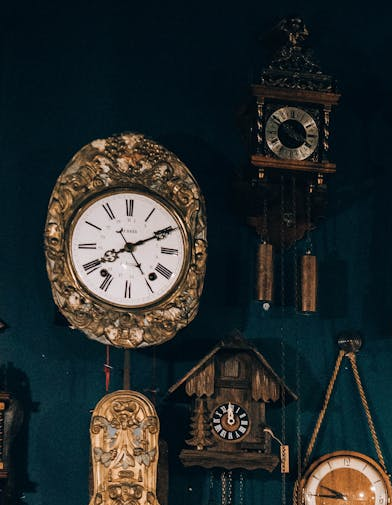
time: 8:10
